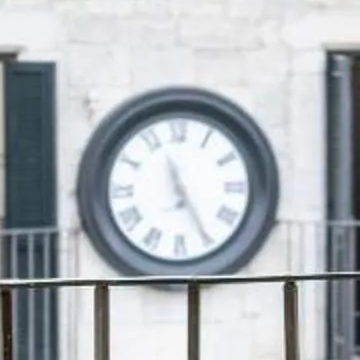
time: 11:25
